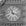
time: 11:17
